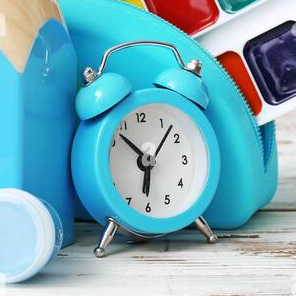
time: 6:06
